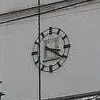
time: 3:20
